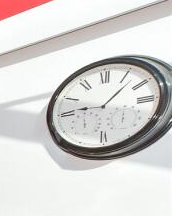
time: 9:07
